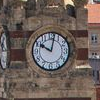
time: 10:02
